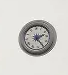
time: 2:24
